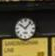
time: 10:07
